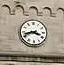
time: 3:42
